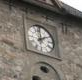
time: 1:59
